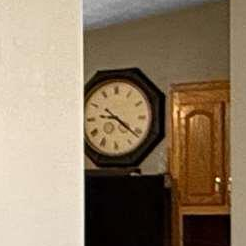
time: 9:21
